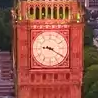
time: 9:20
